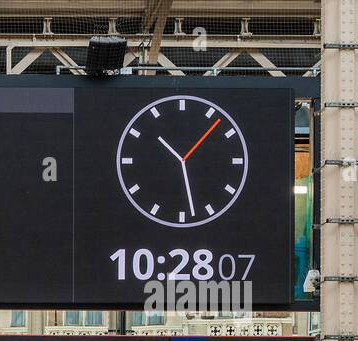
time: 10:28
